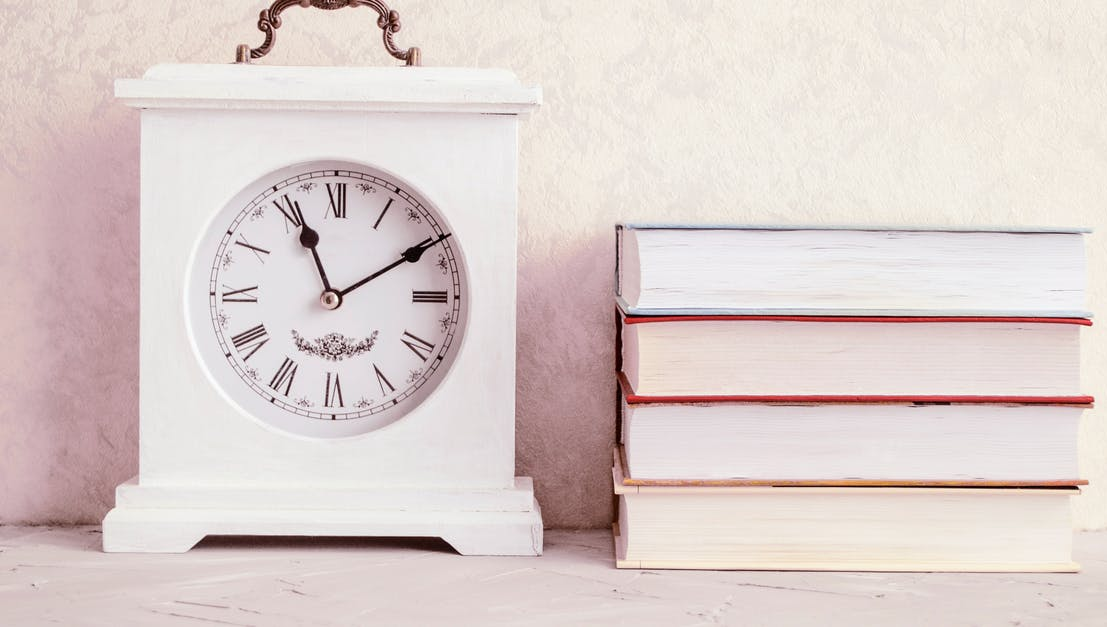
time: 11:09
